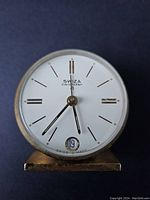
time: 5:36
